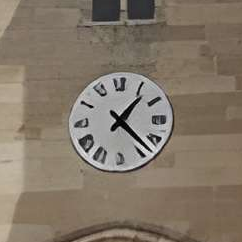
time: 1:22
